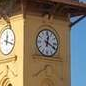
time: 12:19
